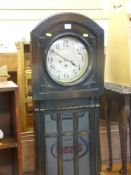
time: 3:51
